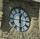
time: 12:28
